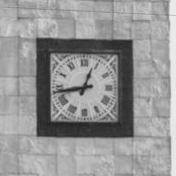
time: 12:43
